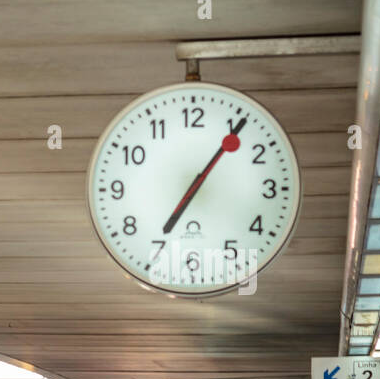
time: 7:06
